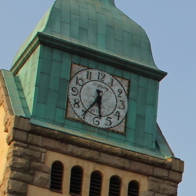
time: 5:35
